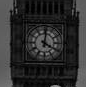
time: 4:01
